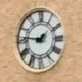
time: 1:46
